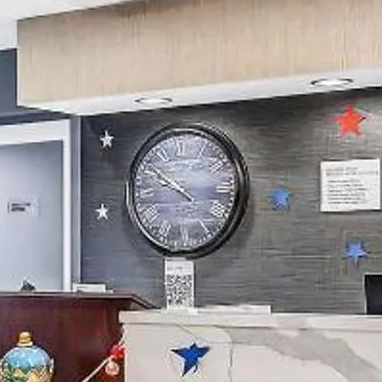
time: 9:51
